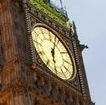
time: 6:03
